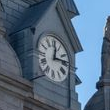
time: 12:13
